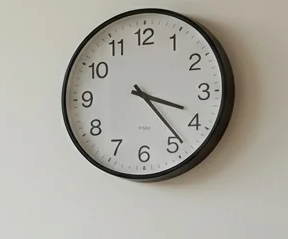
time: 3:23
